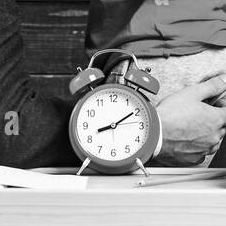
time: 8:09
